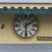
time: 6:10
